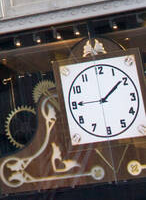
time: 1:45
